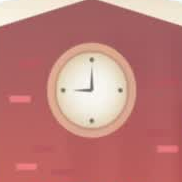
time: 8:59
